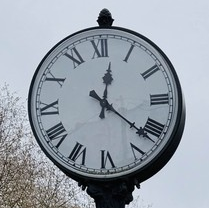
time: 12:21
